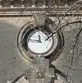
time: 11:46
